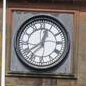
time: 12:39
